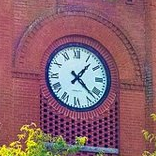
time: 1:22
